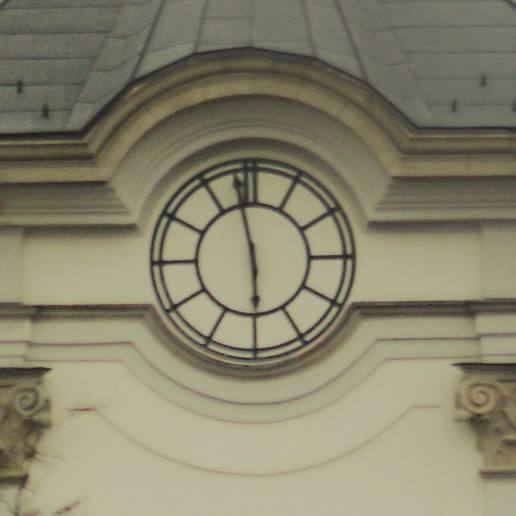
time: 5:58
